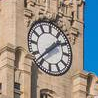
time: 1:37
